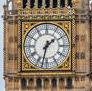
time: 1:32
